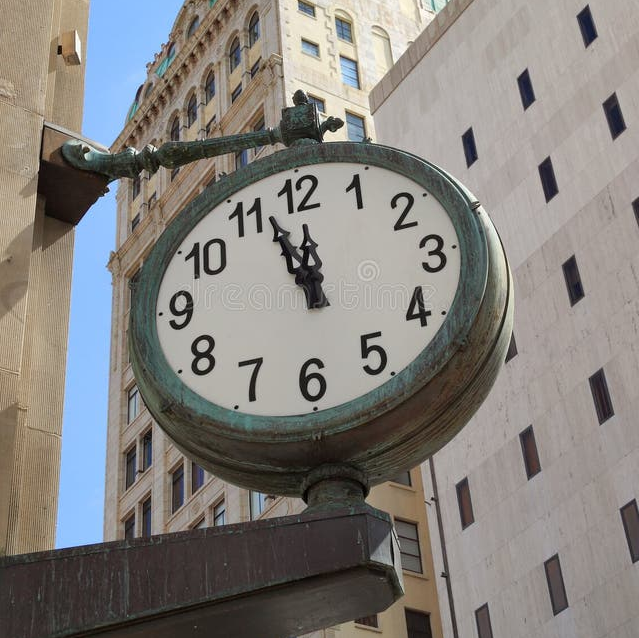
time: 11:56
